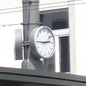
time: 2:45
